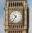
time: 10:35
